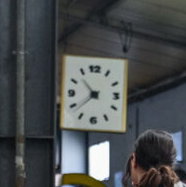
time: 10:38
